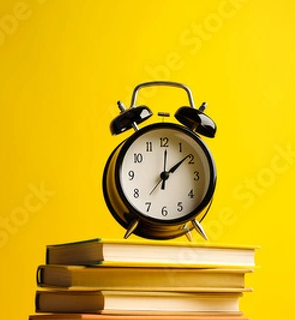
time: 12:08
